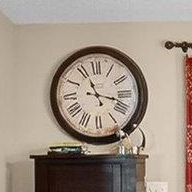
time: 11:17
